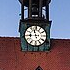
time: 11:44
